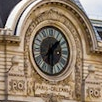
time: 1:30
